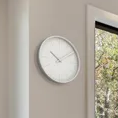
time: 10:08
